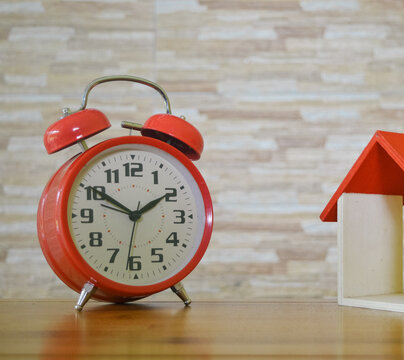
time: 1:50
